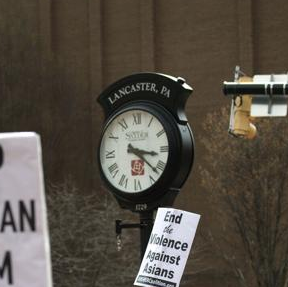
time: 3:21
